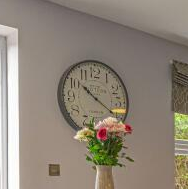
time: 10:20
